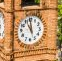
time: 10:59
